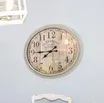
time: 7:44
